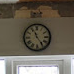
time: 11:24
